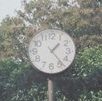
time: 1:23
